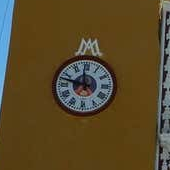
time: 11:47
